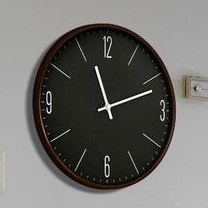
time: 11:11
